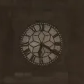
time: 6:20
